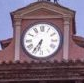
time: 6:35
